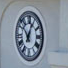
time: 12:52
